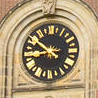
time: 8:50
